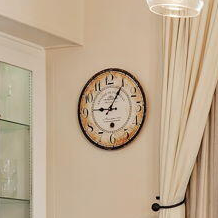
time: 9:05
